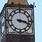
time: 3:18
